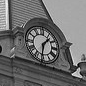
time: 1:31
